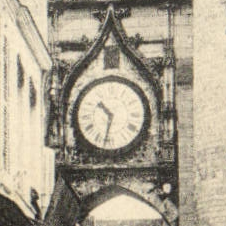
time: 10:32
